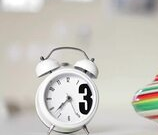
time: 7:37
